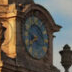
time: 8:38
